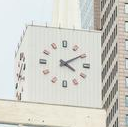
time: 4:09
